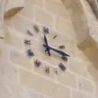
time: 2:58
